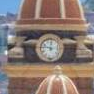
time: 11:46
